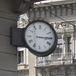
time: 3:14
